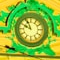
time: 9:55
